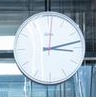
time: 3:13
